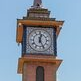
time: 12:25
